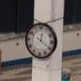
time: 12:20
